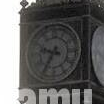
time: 9:35
